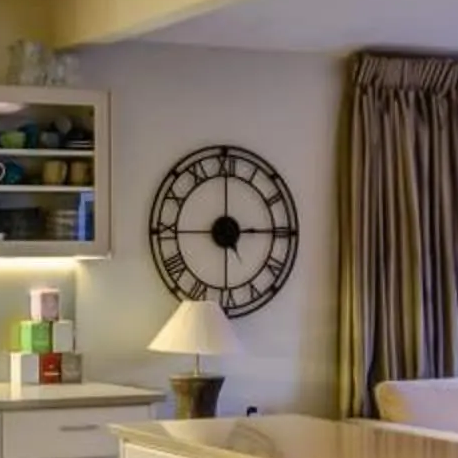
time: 2:59
